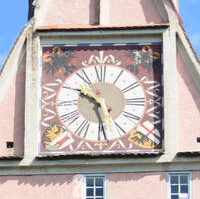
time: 10:28
